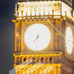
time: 7:31
